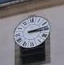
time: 3:13
